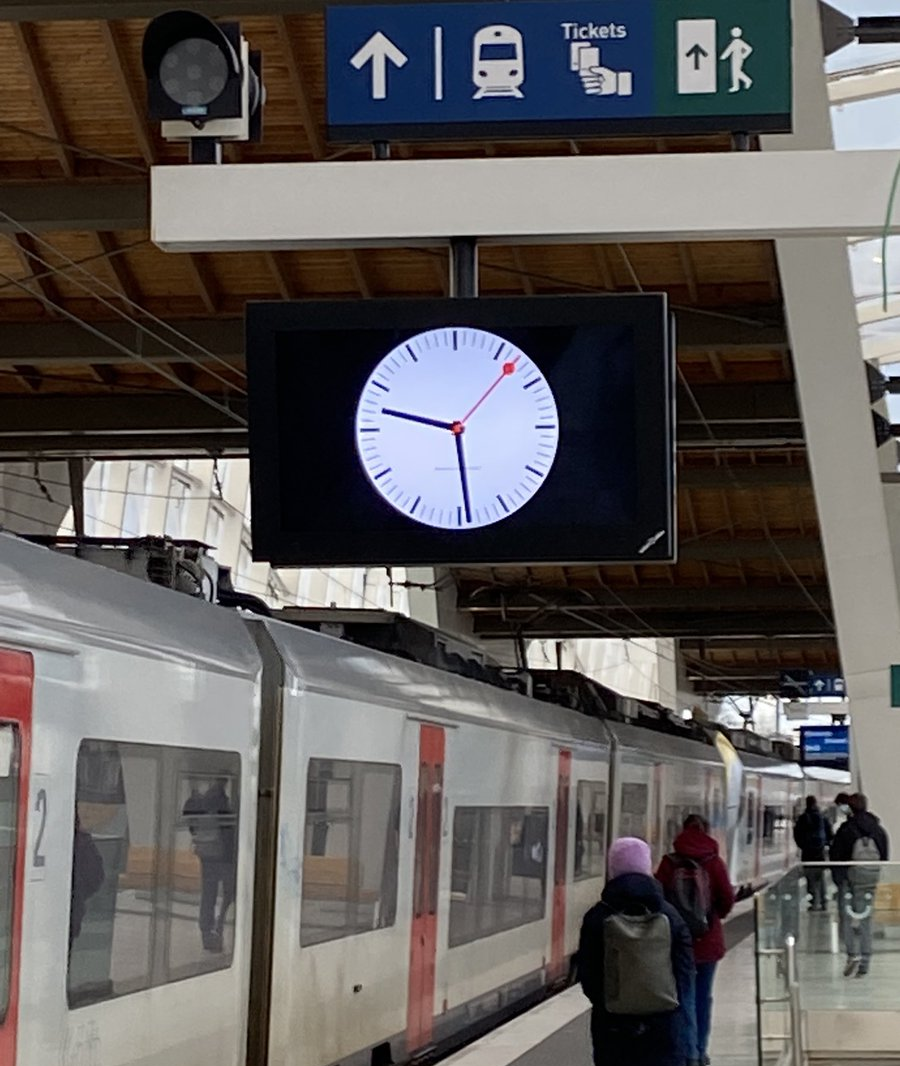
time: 9:29
